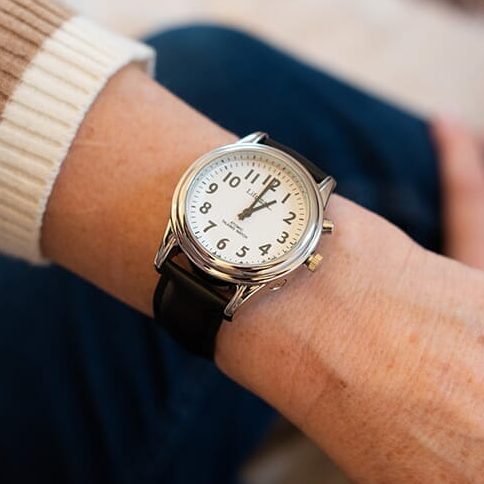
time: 2:05
